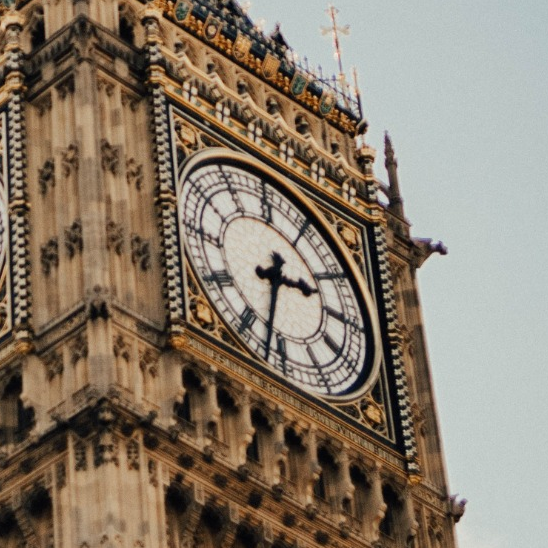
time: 2:32
